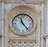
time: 11:23
